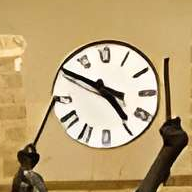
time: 4:50
